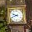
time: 9:41
